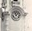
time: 11:07
